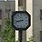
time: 8:42
